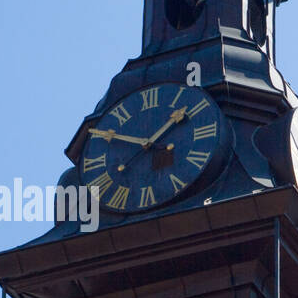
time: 1:50
